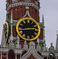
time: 2:42
